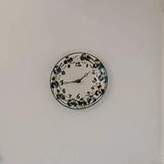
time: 1:44
